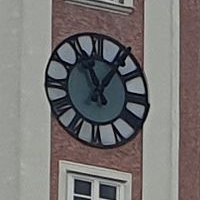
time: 11:06
